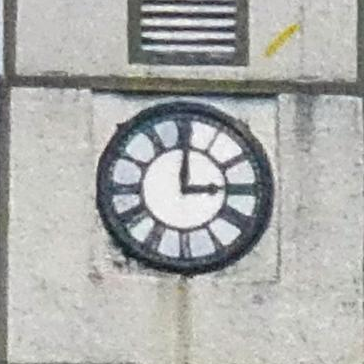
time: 3:00
